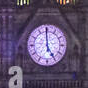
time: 4:59
